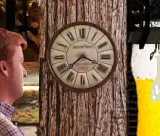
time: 3:38
